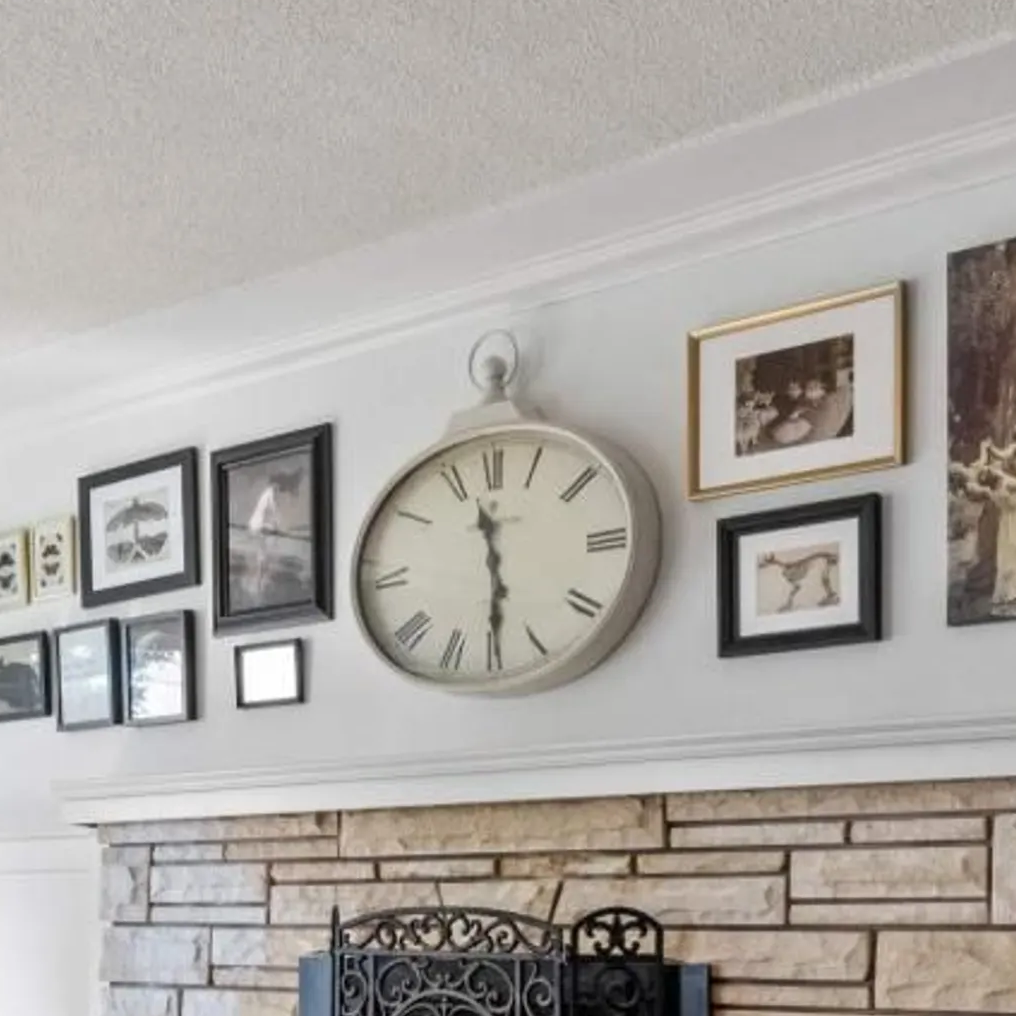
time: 11:29
